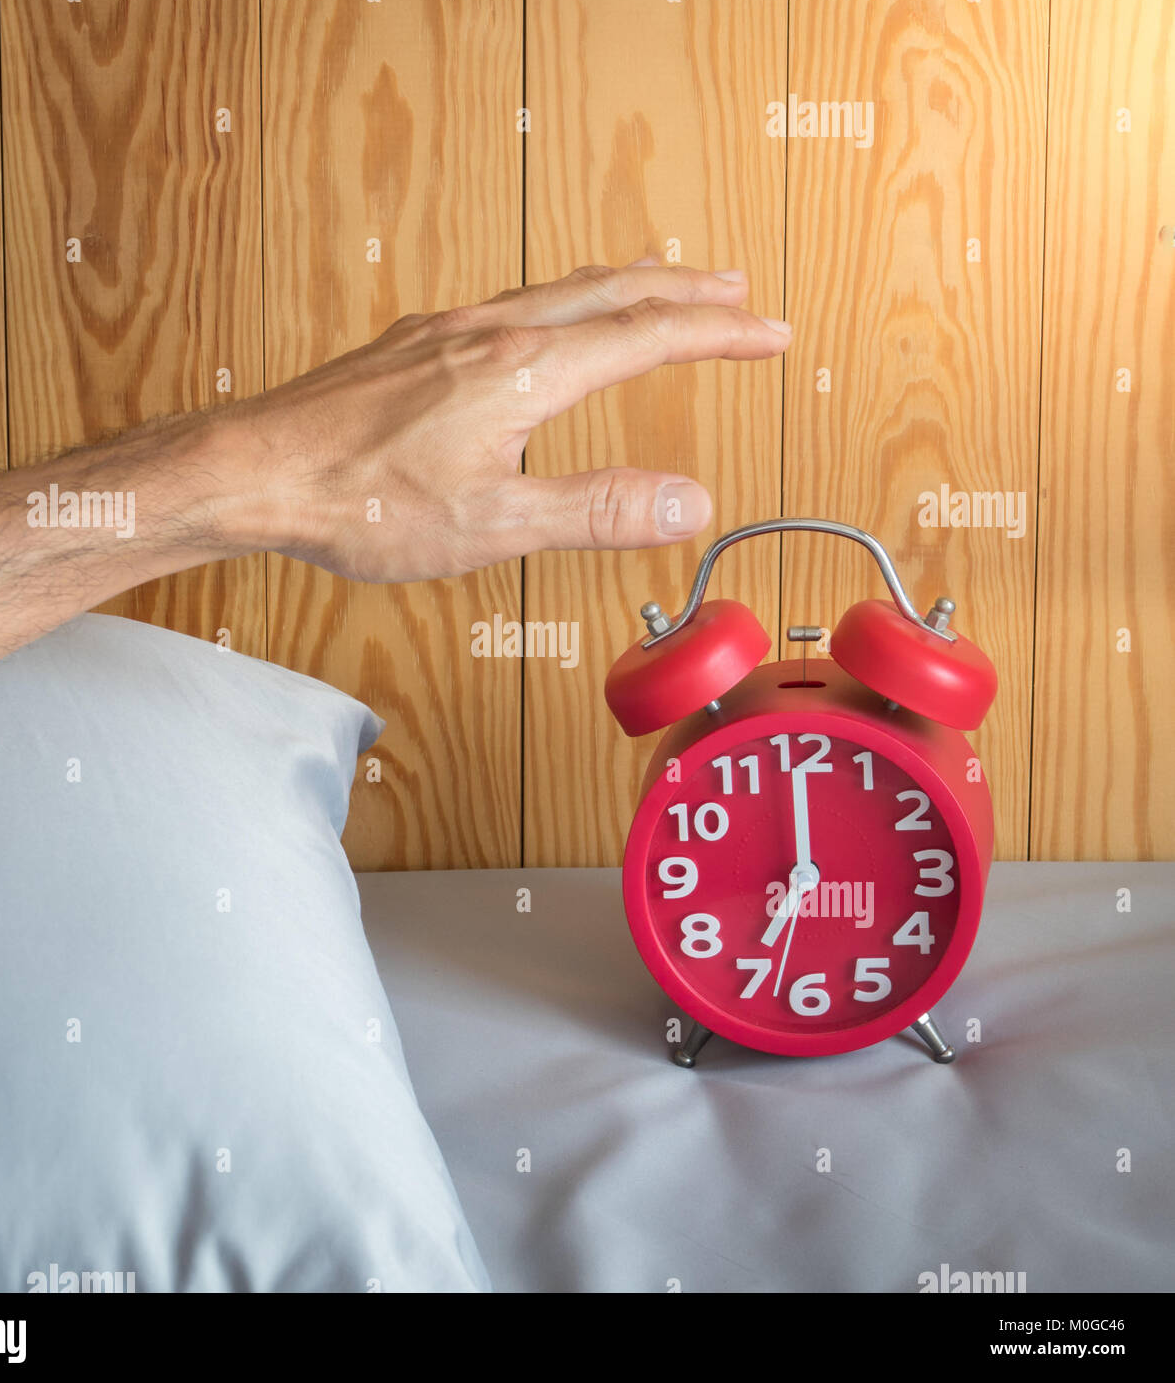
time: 7:00
